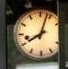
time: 8:03
